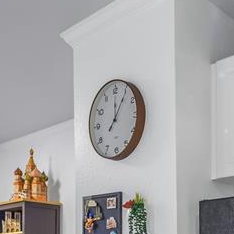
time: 12:05
